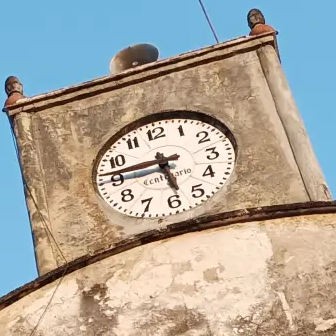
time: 5:45
